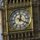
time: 12:20
